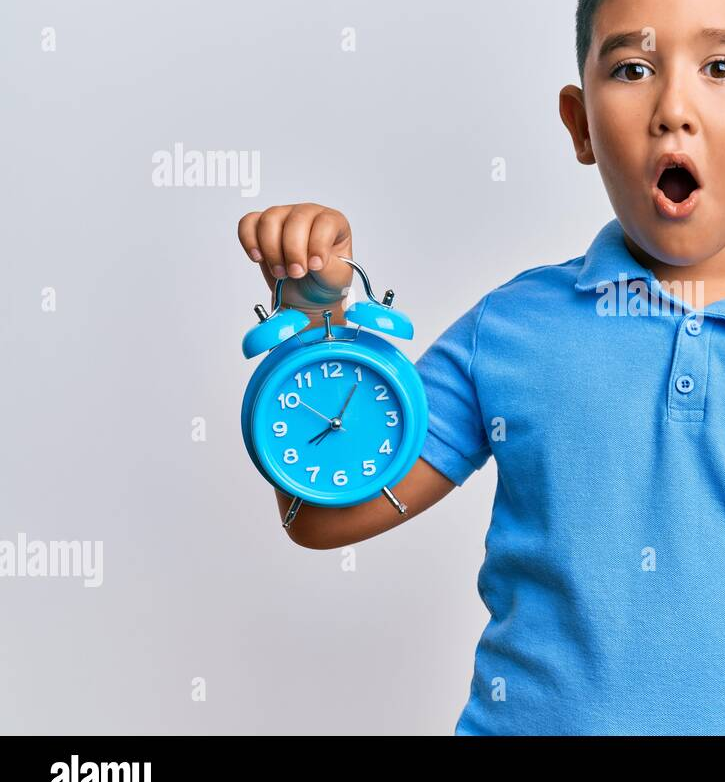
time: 8:05
